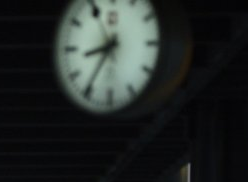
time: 8:35
